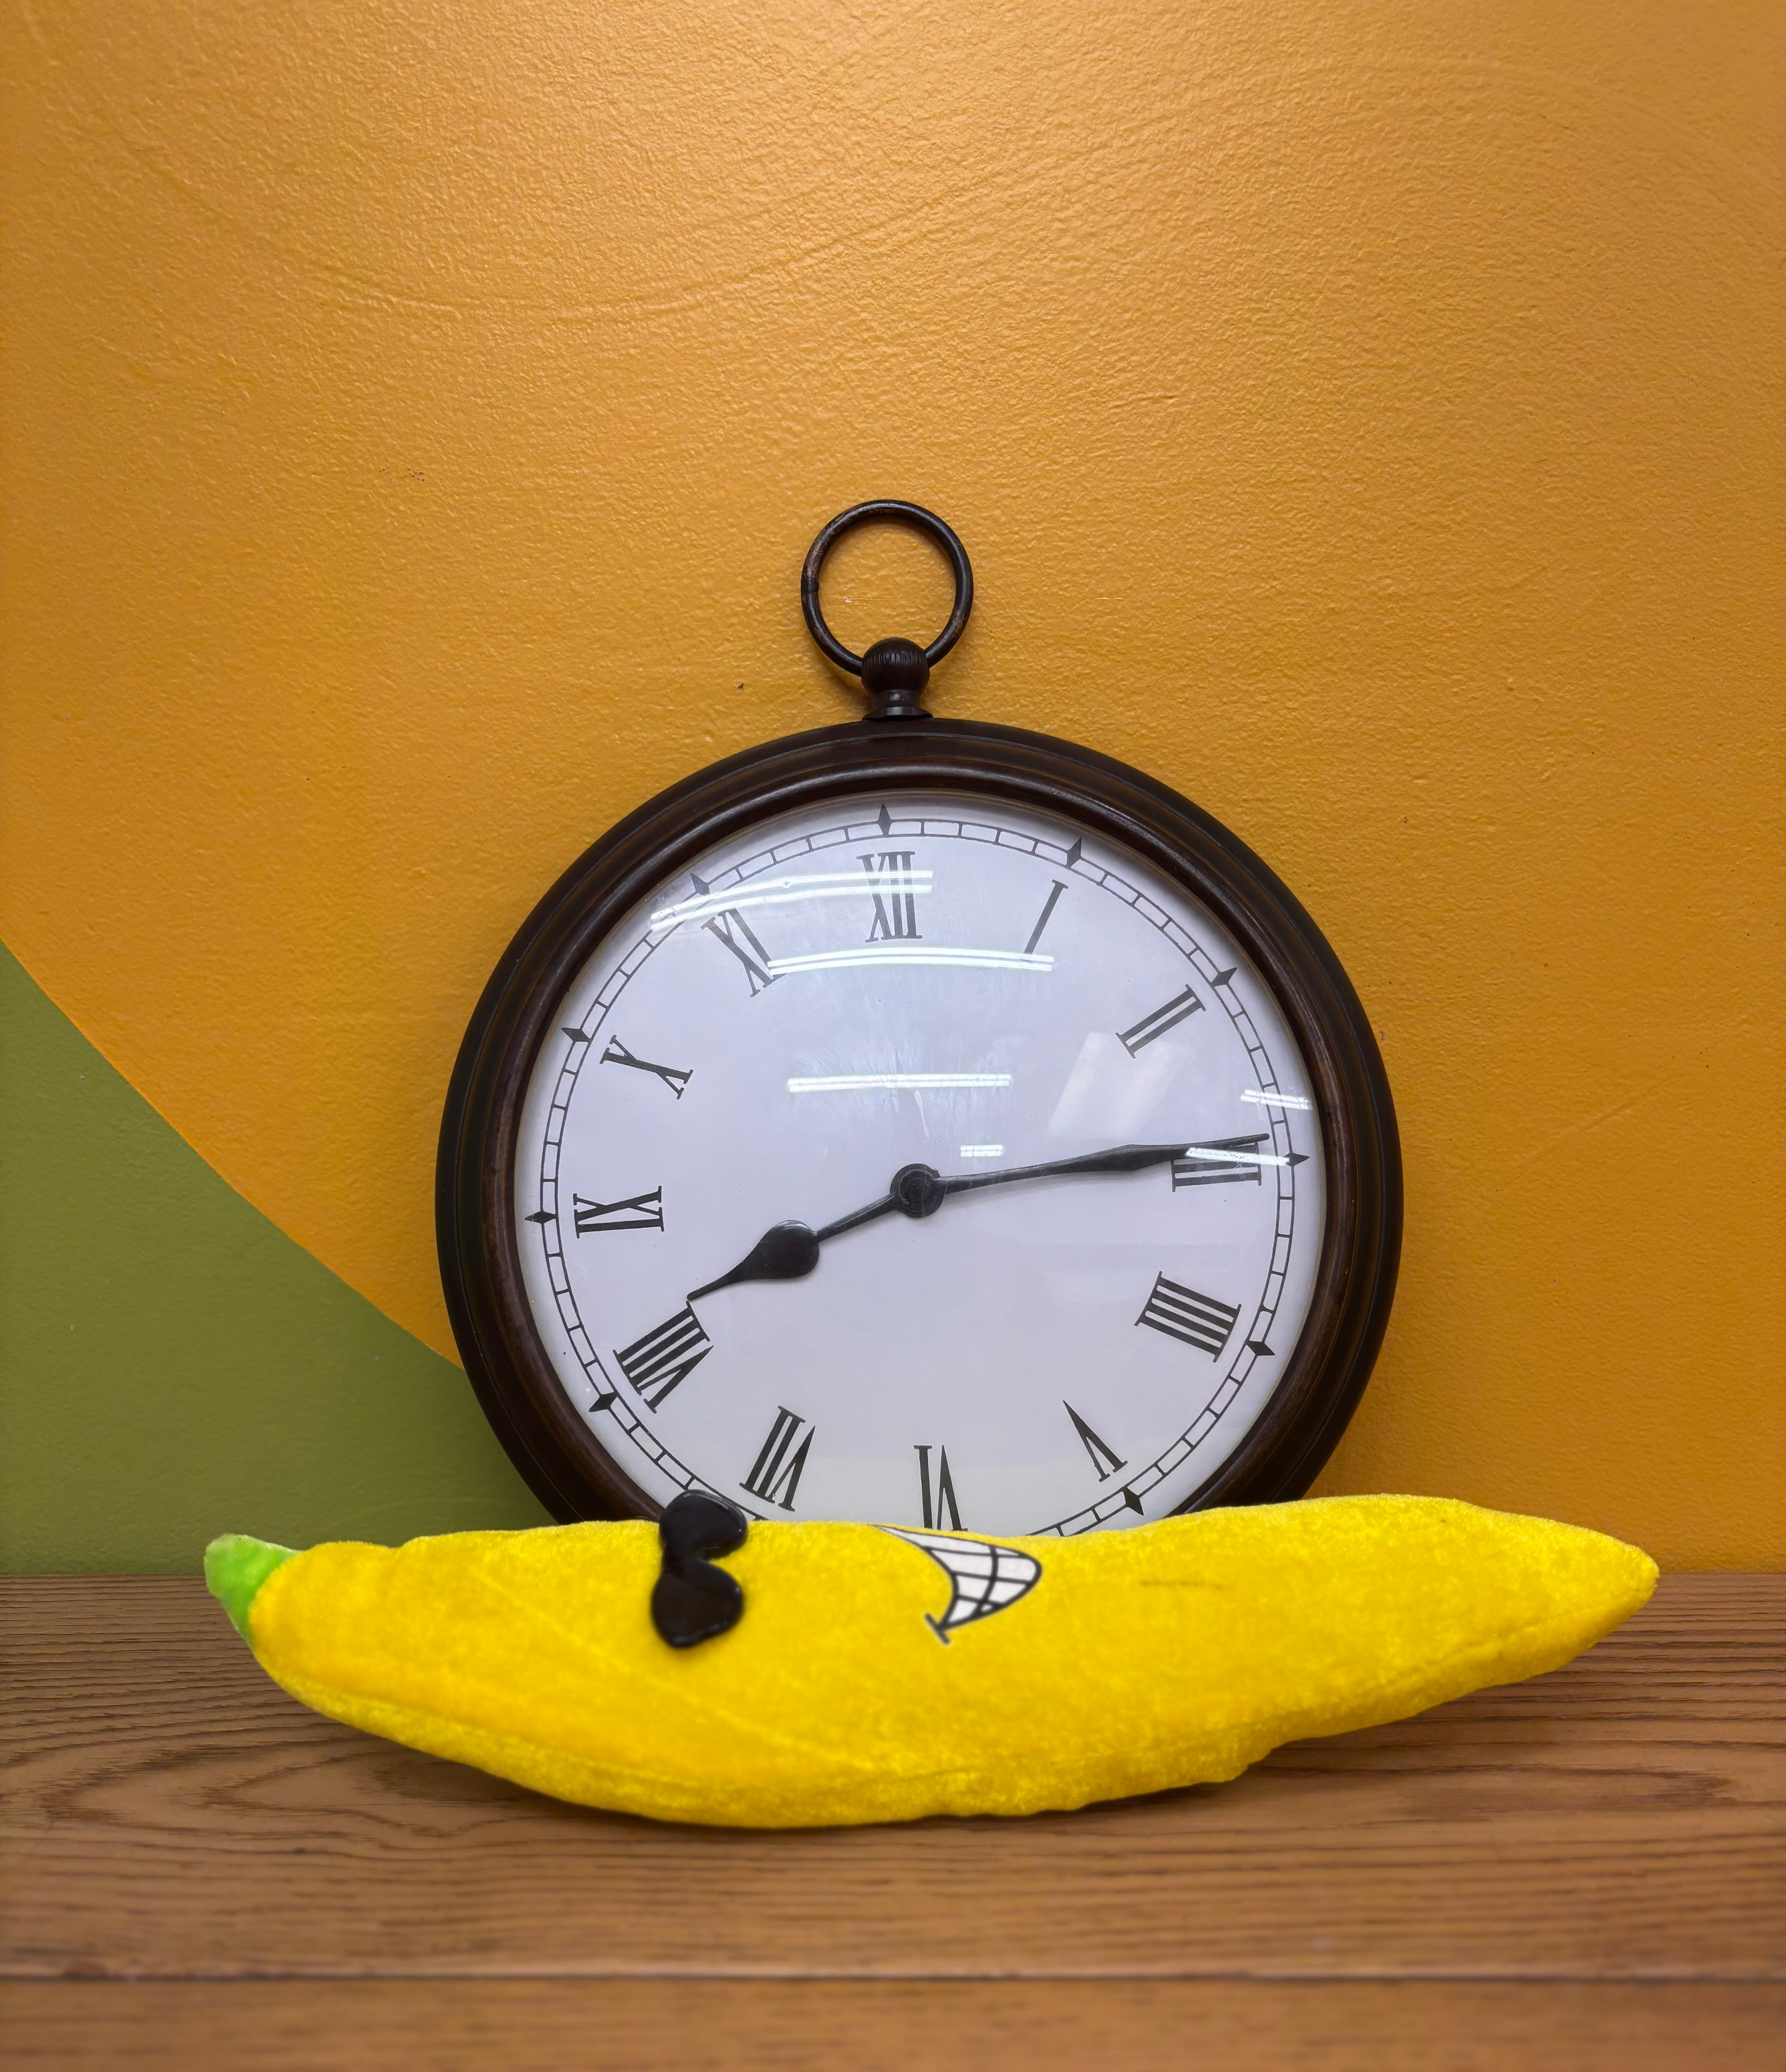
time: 8:14
